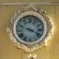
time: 3:48
